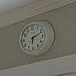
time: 6:11
